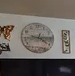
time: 4:14
